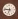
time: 6:47
